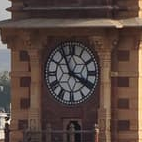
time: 3:55
